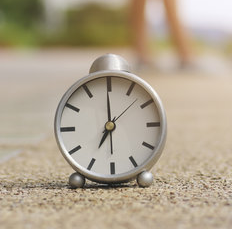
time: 6:59
